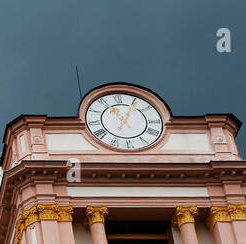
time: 11:05
